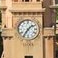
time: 1:35
